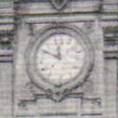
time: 11:49
